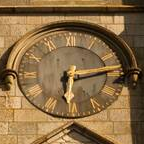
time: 6:13
